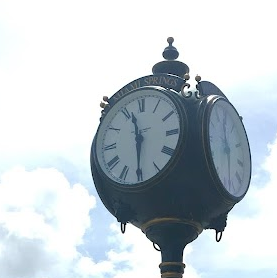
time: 11:29
